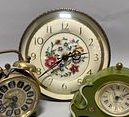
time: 2:38
